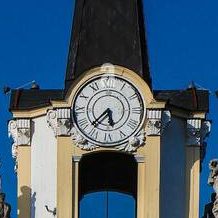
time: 5:37
